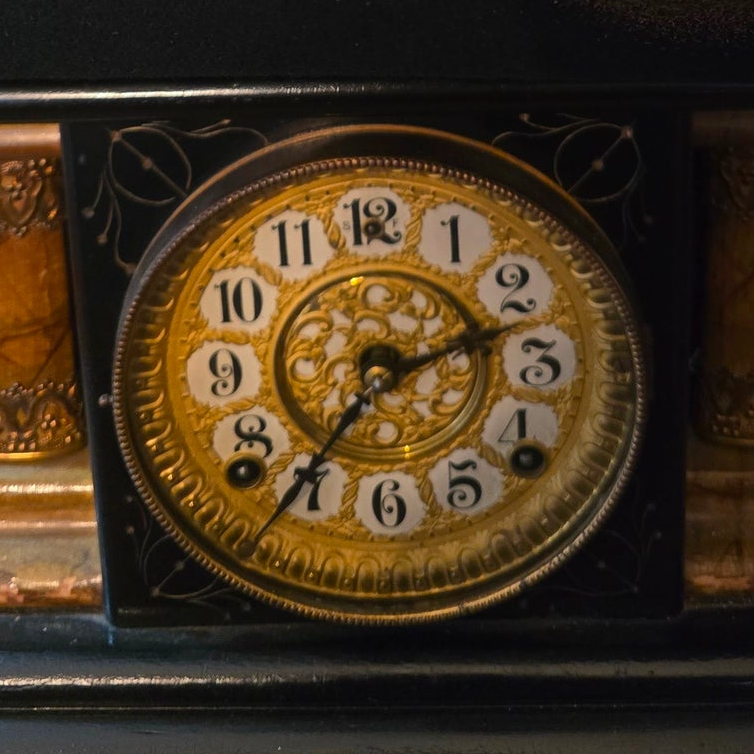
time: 2:36
